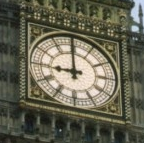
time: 8:59
